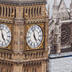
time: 4:57
